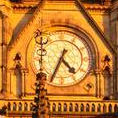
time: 4:34
